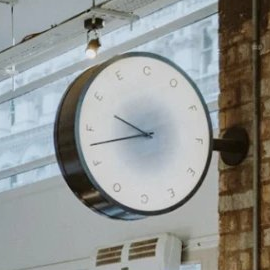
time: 9:42
